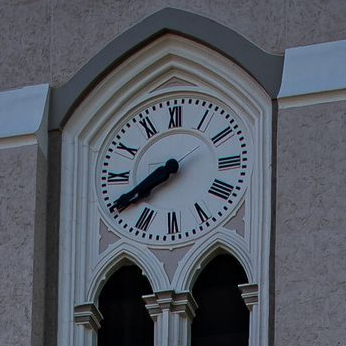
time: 7:40
